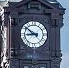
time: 8:51
